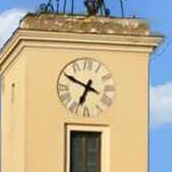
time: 6:49
